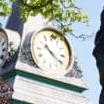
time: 10:20
